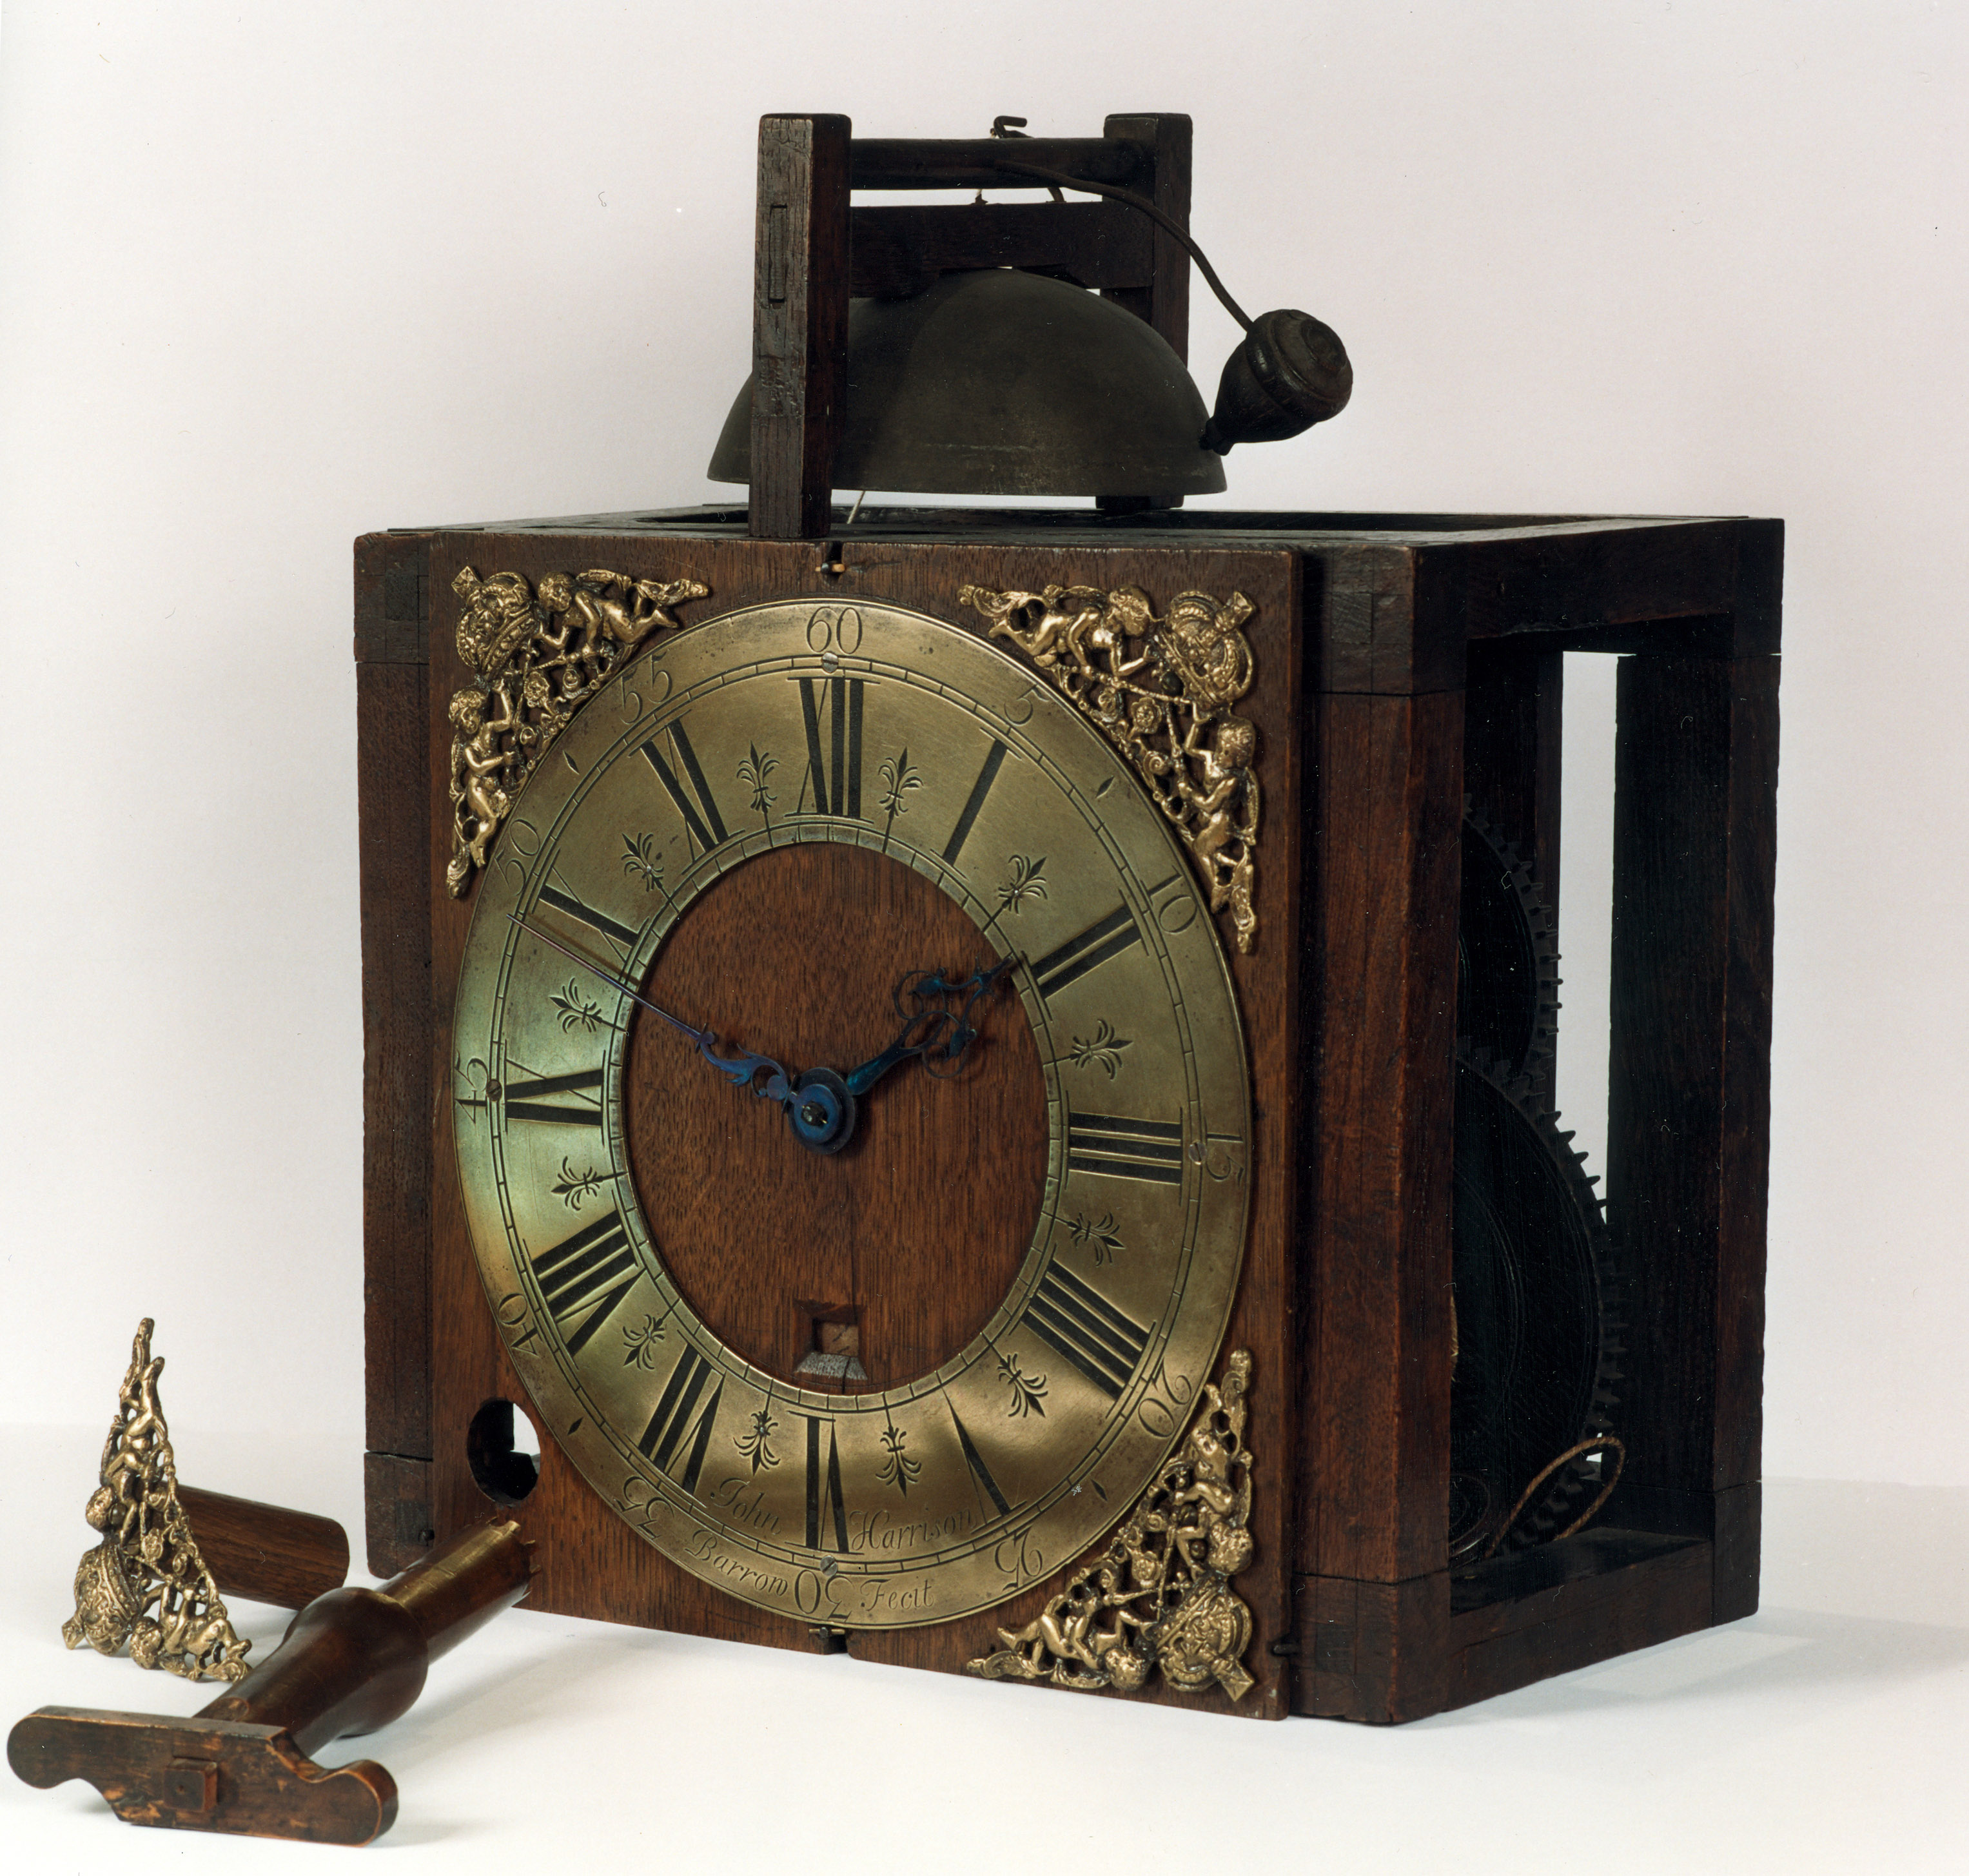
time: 1:47
